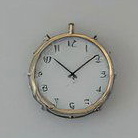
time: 10:08
